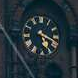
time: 5:18
